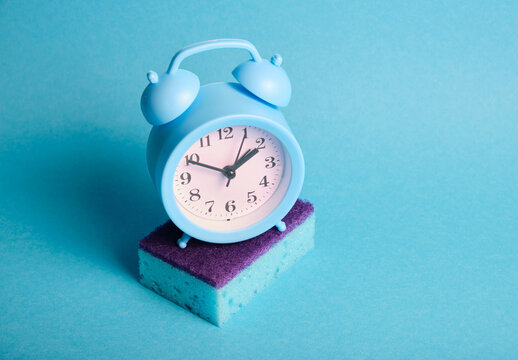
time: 1:49
